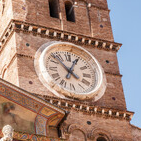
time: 12:52
